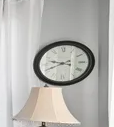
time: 9:41
